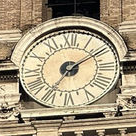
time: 7:09
